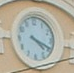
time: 4:19
